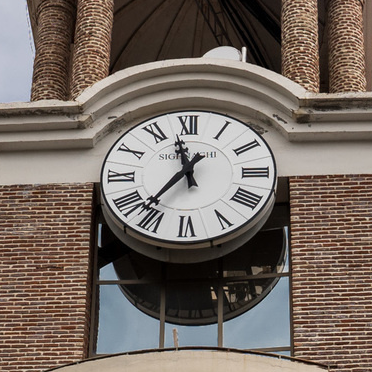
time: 11:36
